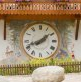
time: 1:41
